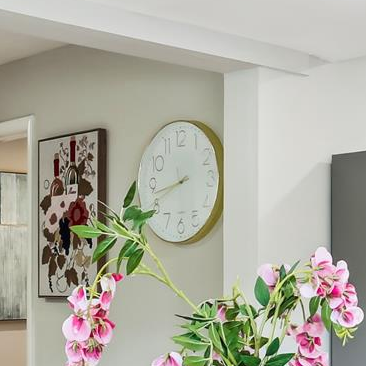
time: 8:42
